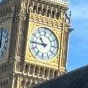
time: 10:45
